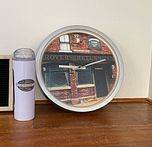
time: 9:12
